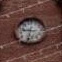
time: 9:33
